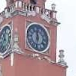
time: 11:32
